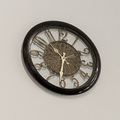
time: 10:31
